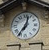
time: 12:36
